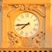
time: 7:44
